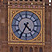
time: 4:34
